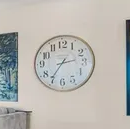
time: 2:35
